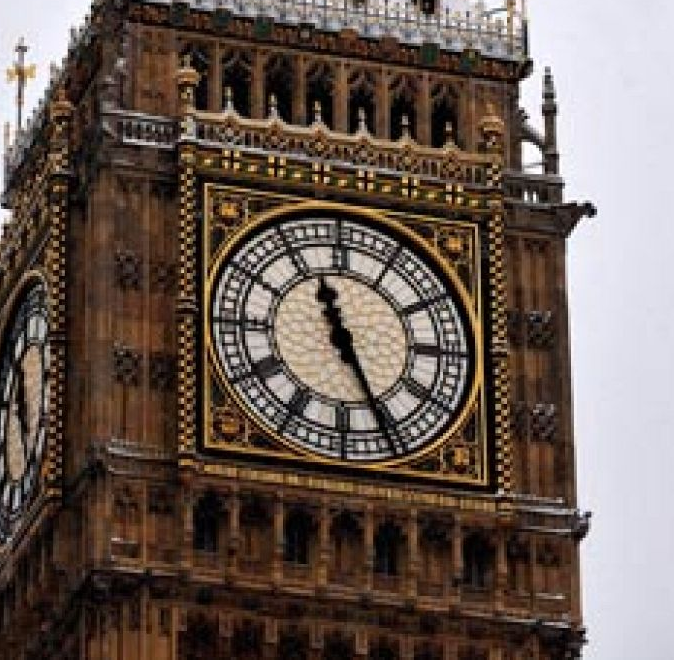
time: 11:25
